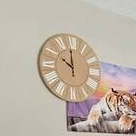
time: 9:59
